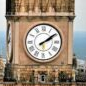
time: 2:09
